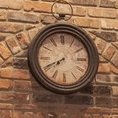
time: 7:40
